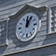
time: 12:05
